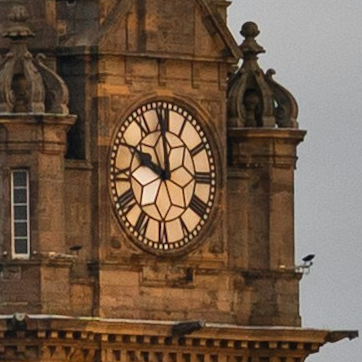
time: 9:59
